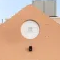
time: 4:12
